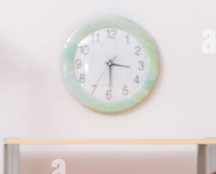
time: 3:29
